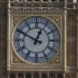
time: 12:49
